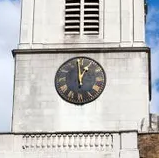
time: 12:58
